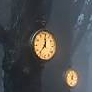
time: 12:36
